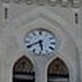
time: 5:40
